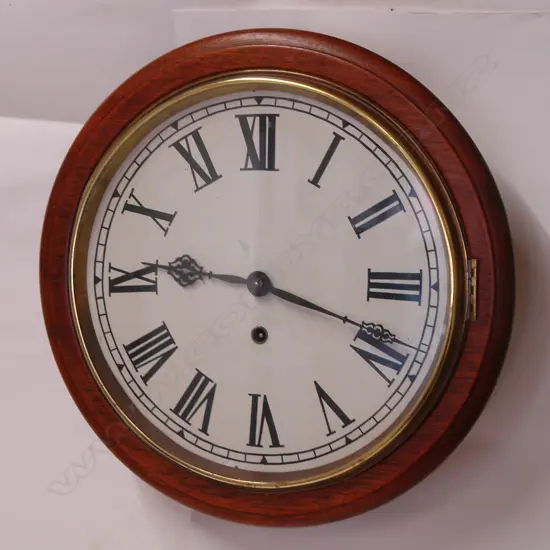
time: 9:18
